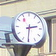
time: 2:30
